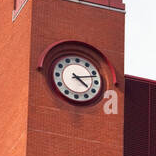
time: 4:12
